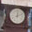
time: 12:11
